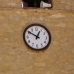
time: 12:50
